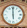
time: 5:59
